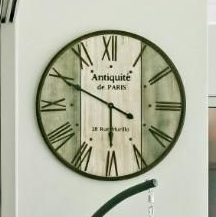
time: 5:49
